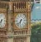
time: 6:37
